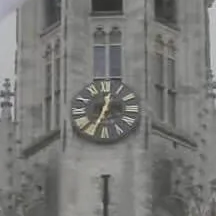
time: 12:33
